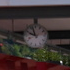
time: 9:57
